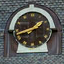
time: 1:42
